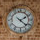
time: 2:21
